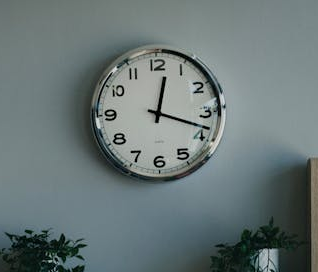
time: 12:18
